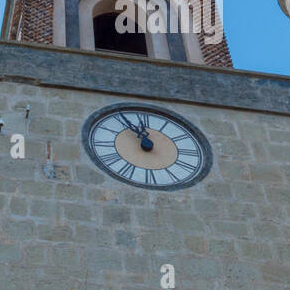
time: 11:55
